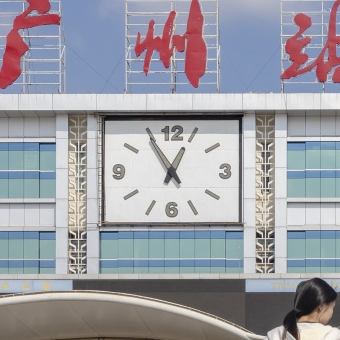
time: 12:55
